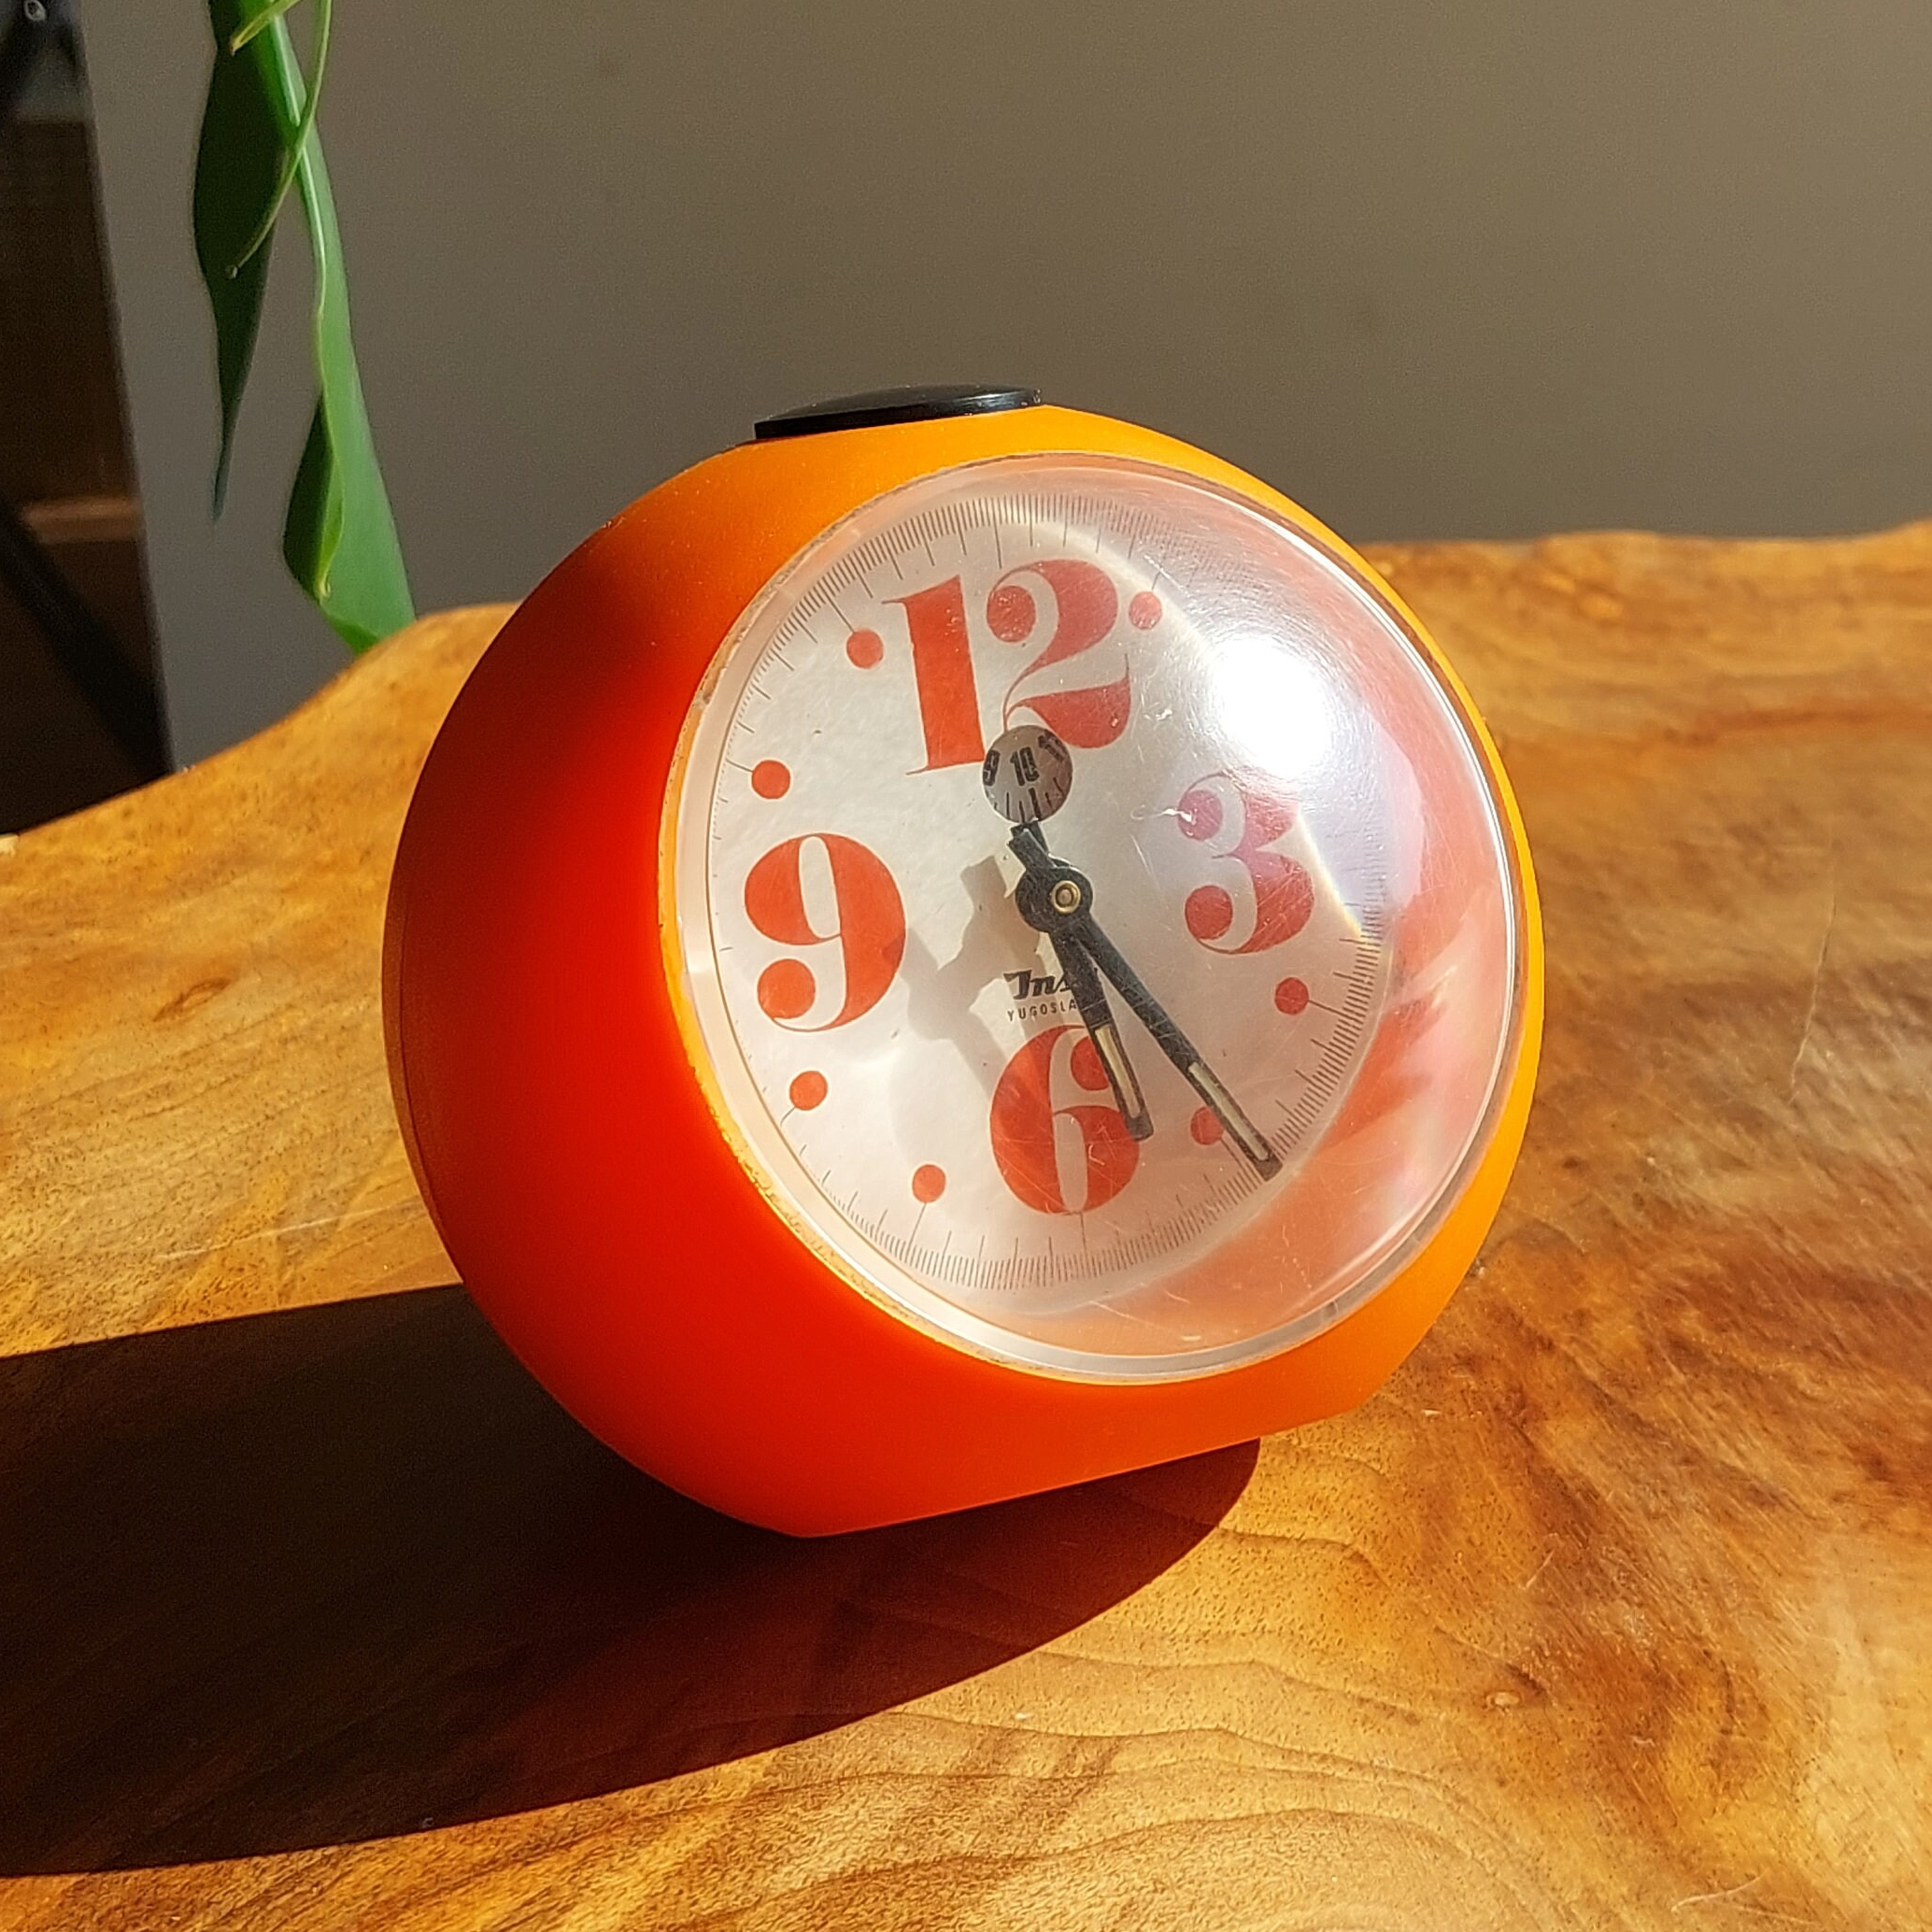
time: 5:24
